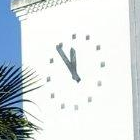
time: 11:54
